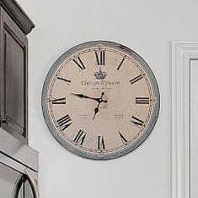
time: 6:47
